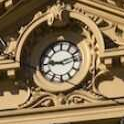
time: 9:12
